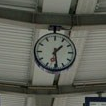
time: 1:29
